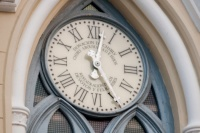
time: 5:02
